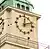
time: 12:11
